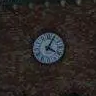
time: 4:04
